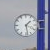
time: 1:28
